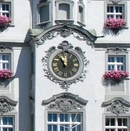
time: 10:58
